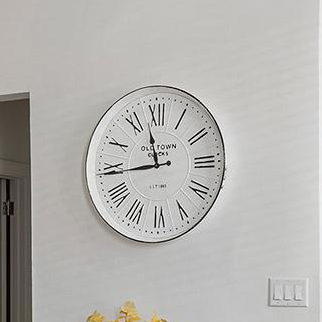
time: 8:57
